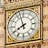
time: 7:57
